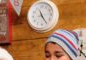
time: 11:24
